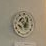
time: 12:52
